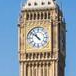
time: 10:51
